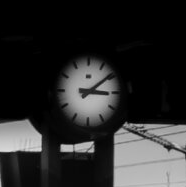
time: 3:09
